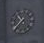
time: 10:36
